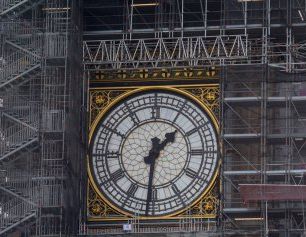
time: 1:30
